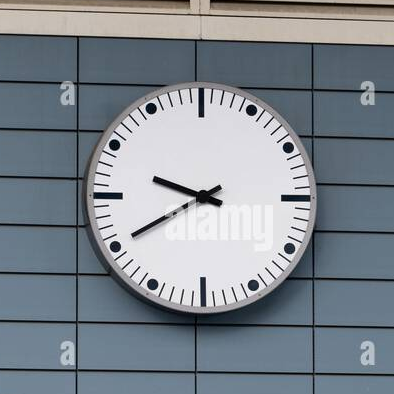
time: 9:40
